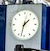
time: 1:32
